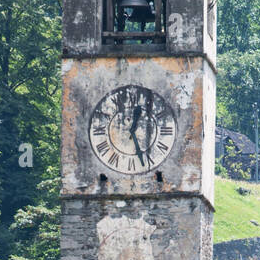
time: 12:26
